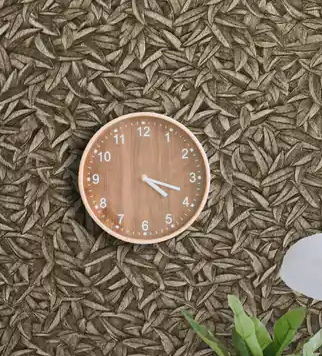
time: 4:18
